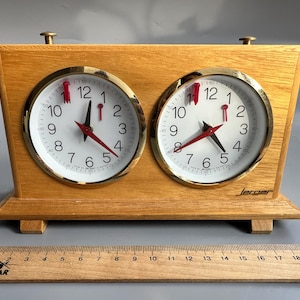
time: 12:23
